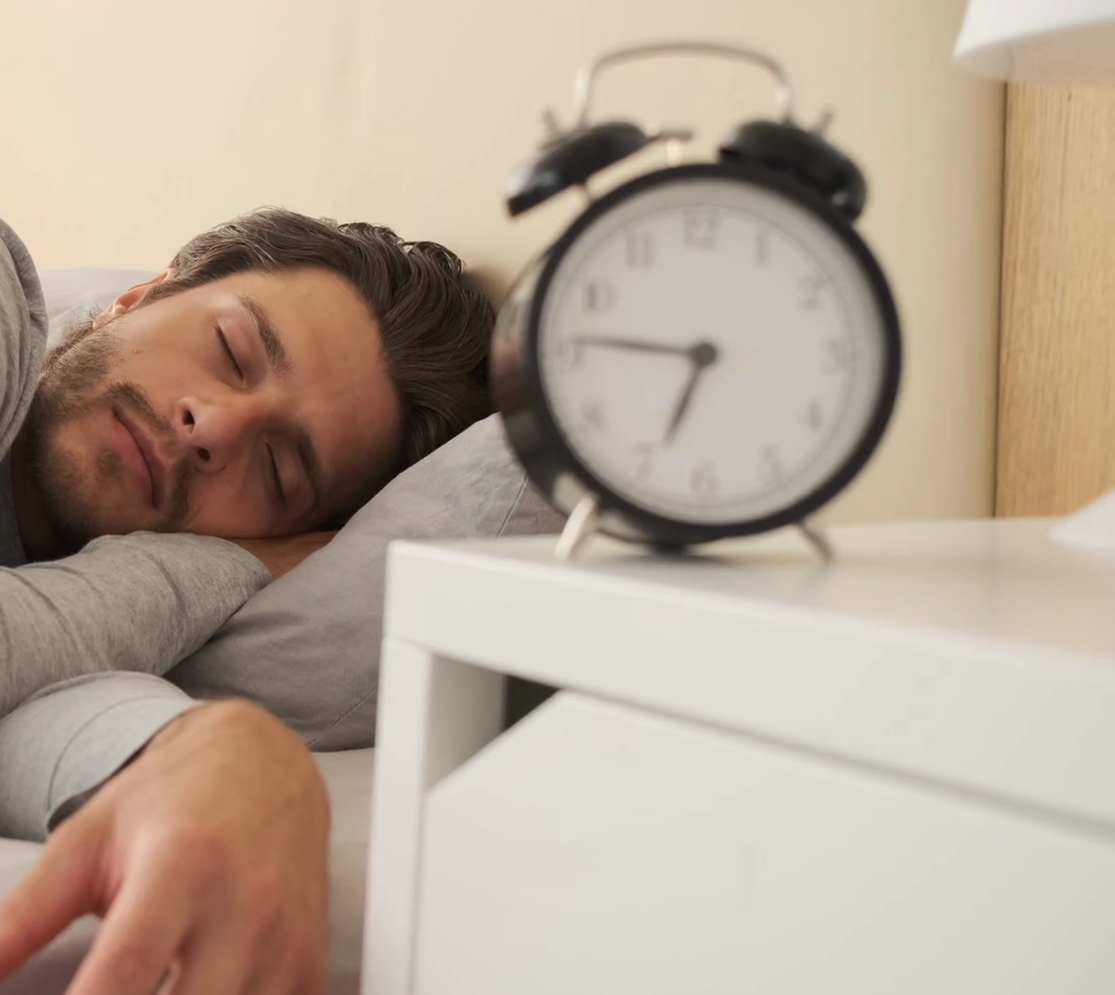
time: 6:46
